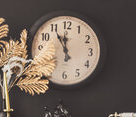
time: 11:55
